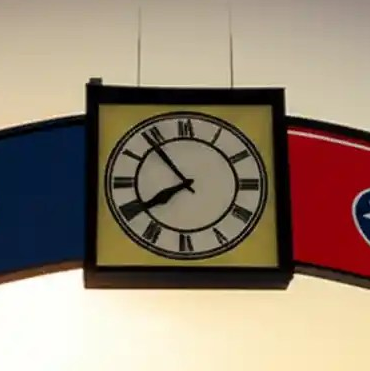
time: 7:53
